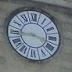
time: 3:44
